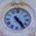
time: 4:23
